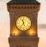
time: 11:36
